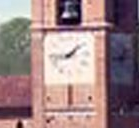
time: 1:43
